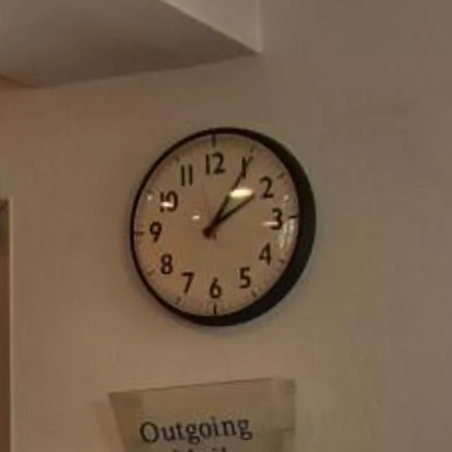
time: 2:05
